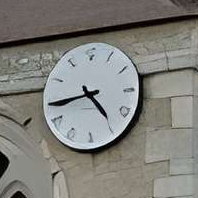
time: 4:43
